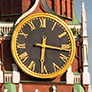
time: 6:16
